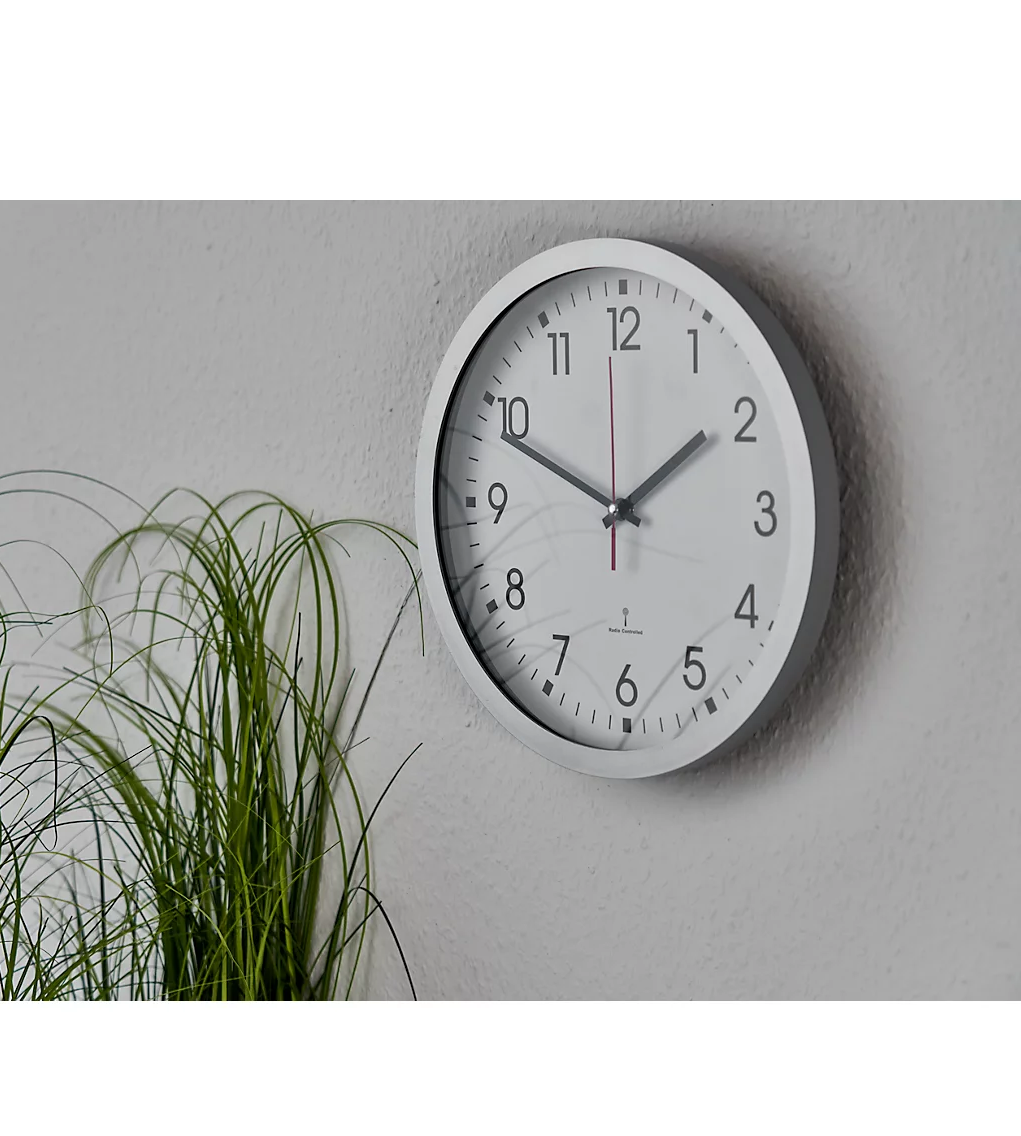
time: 1:48
